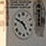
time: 4:49
